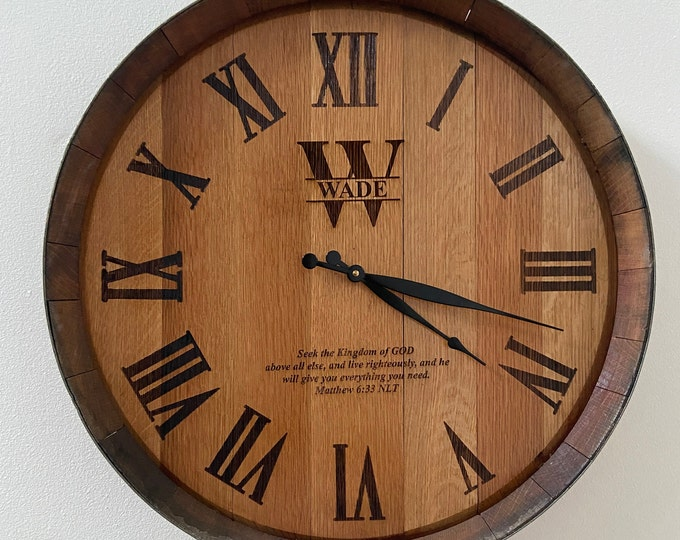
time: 4:17
